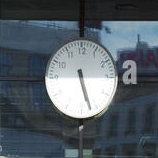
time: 5:26
